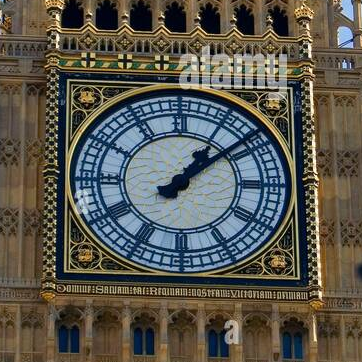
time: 1:08
